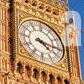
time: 4:16
